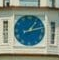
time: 1:12
